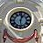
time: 12:28
